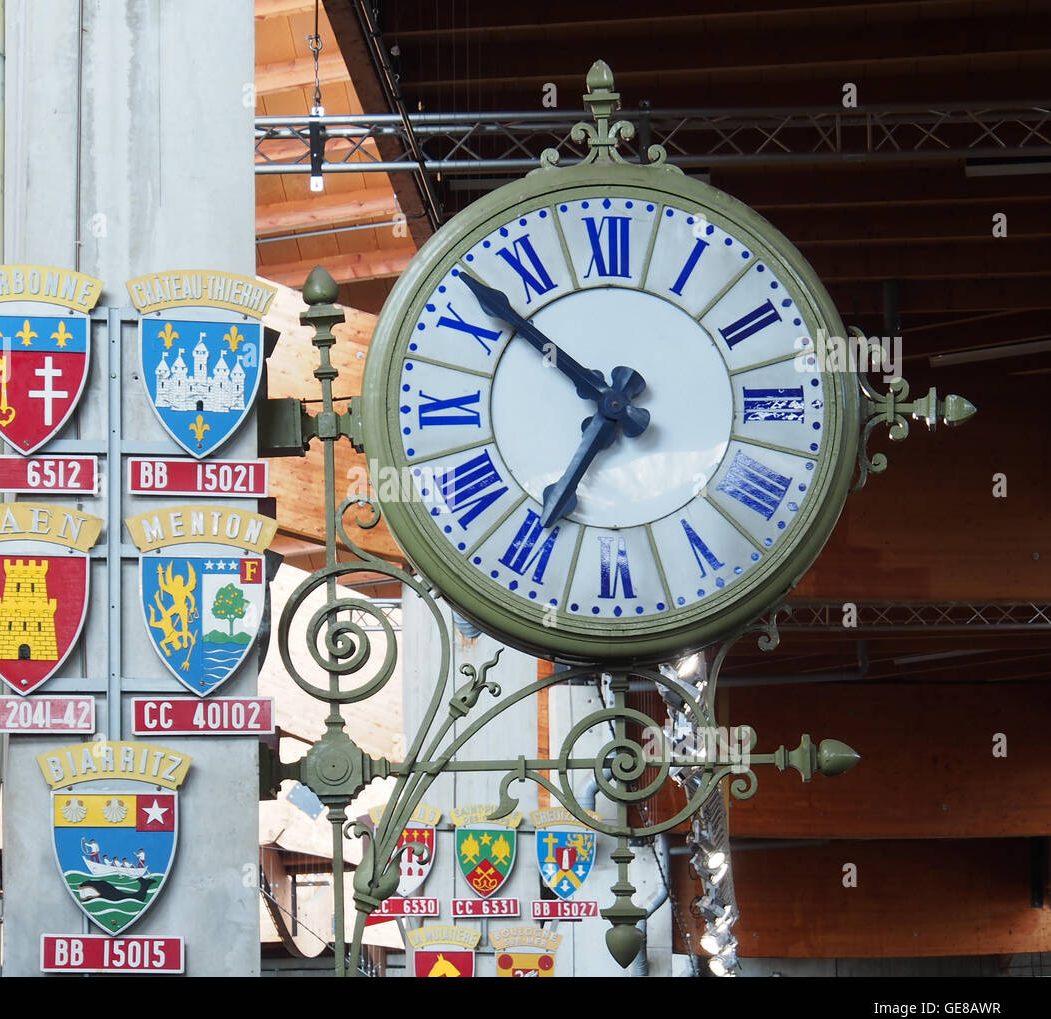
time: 6:52
